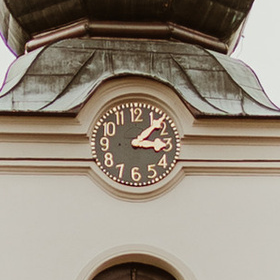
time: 3:07
